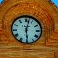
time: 6:02
